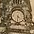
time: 4:31
